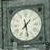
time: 7:28
